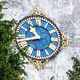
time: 10:42
